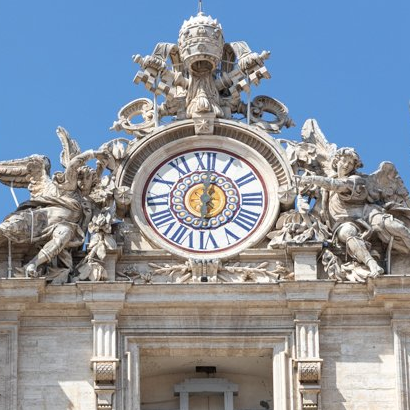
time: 6:01
